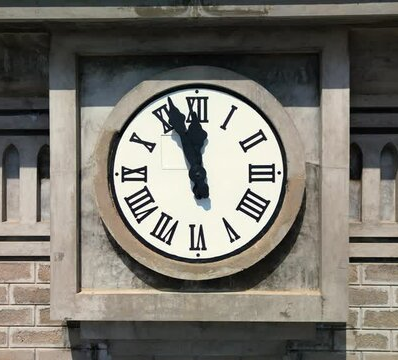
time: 11:56
